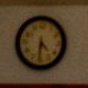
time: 4:31
